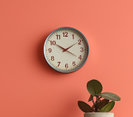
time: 1:50
